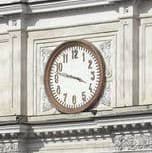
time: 3:47
